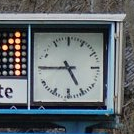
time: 4:45
